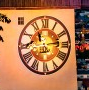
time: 11:13
